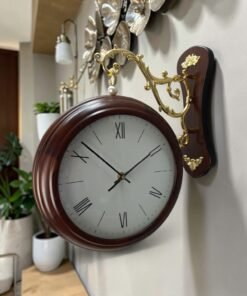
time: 1:52
